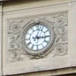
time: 3:02
